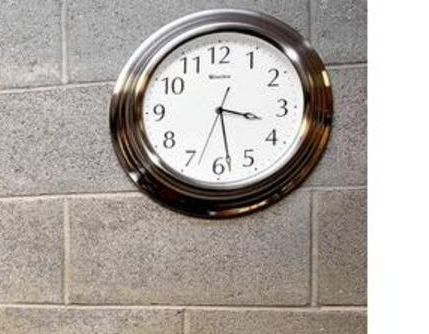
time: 3:28
